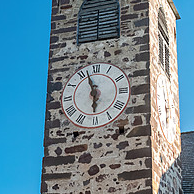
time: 5:57
